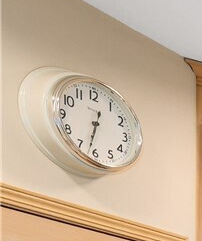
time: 12:32
